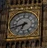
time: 6:41
